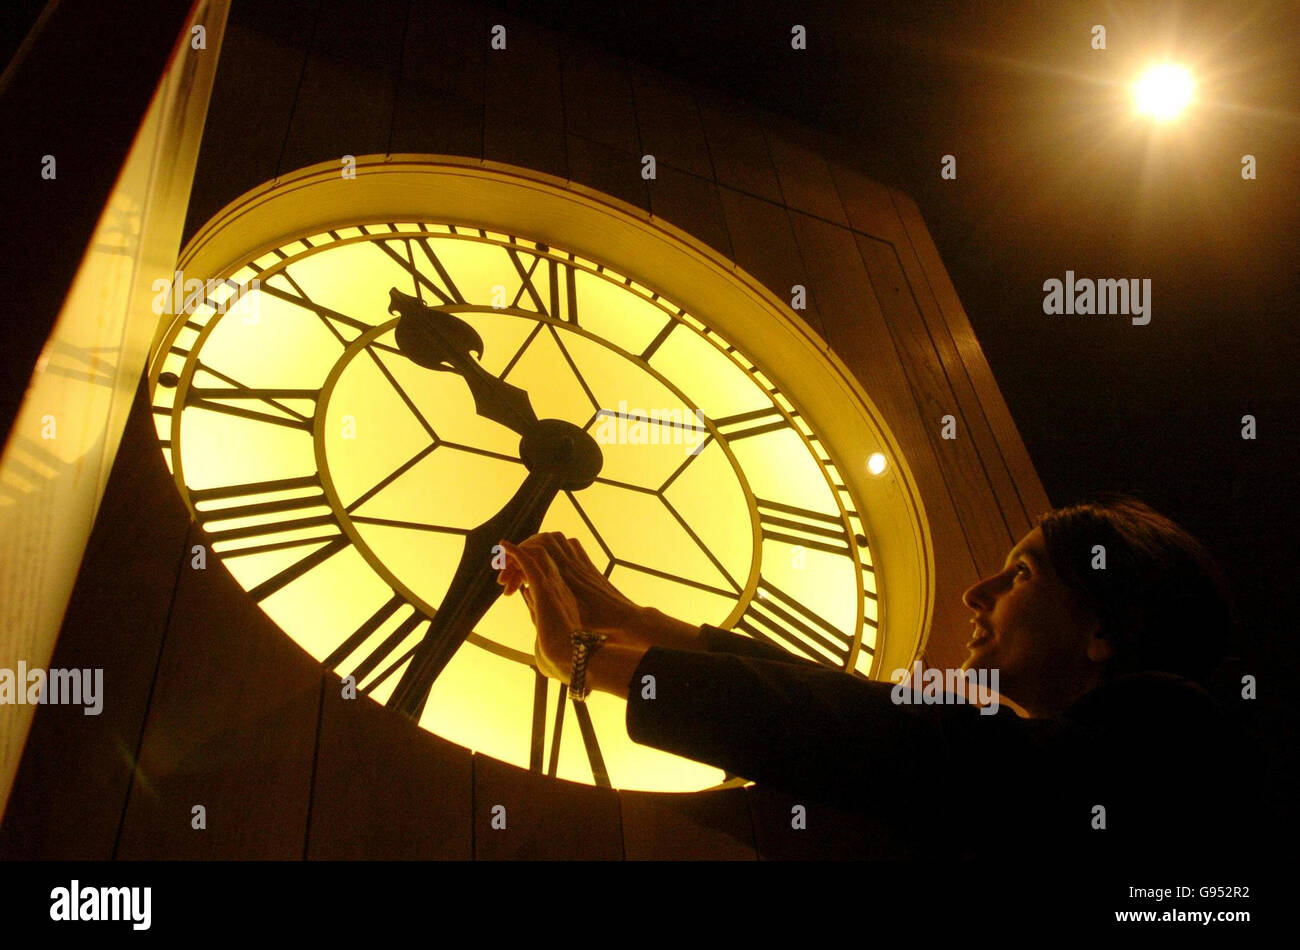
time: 10:34
